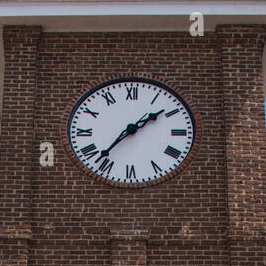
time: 1:36
